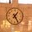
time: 1:24
